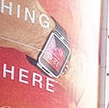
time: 4:04
